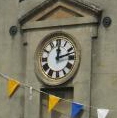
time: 12:12
